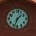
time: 1:33
